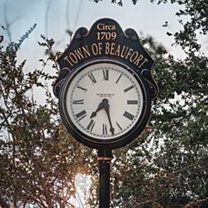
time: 7:27
